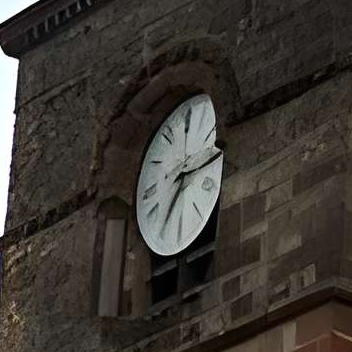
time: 7:15
